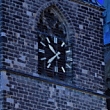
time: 10:37
